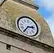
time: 2:35
